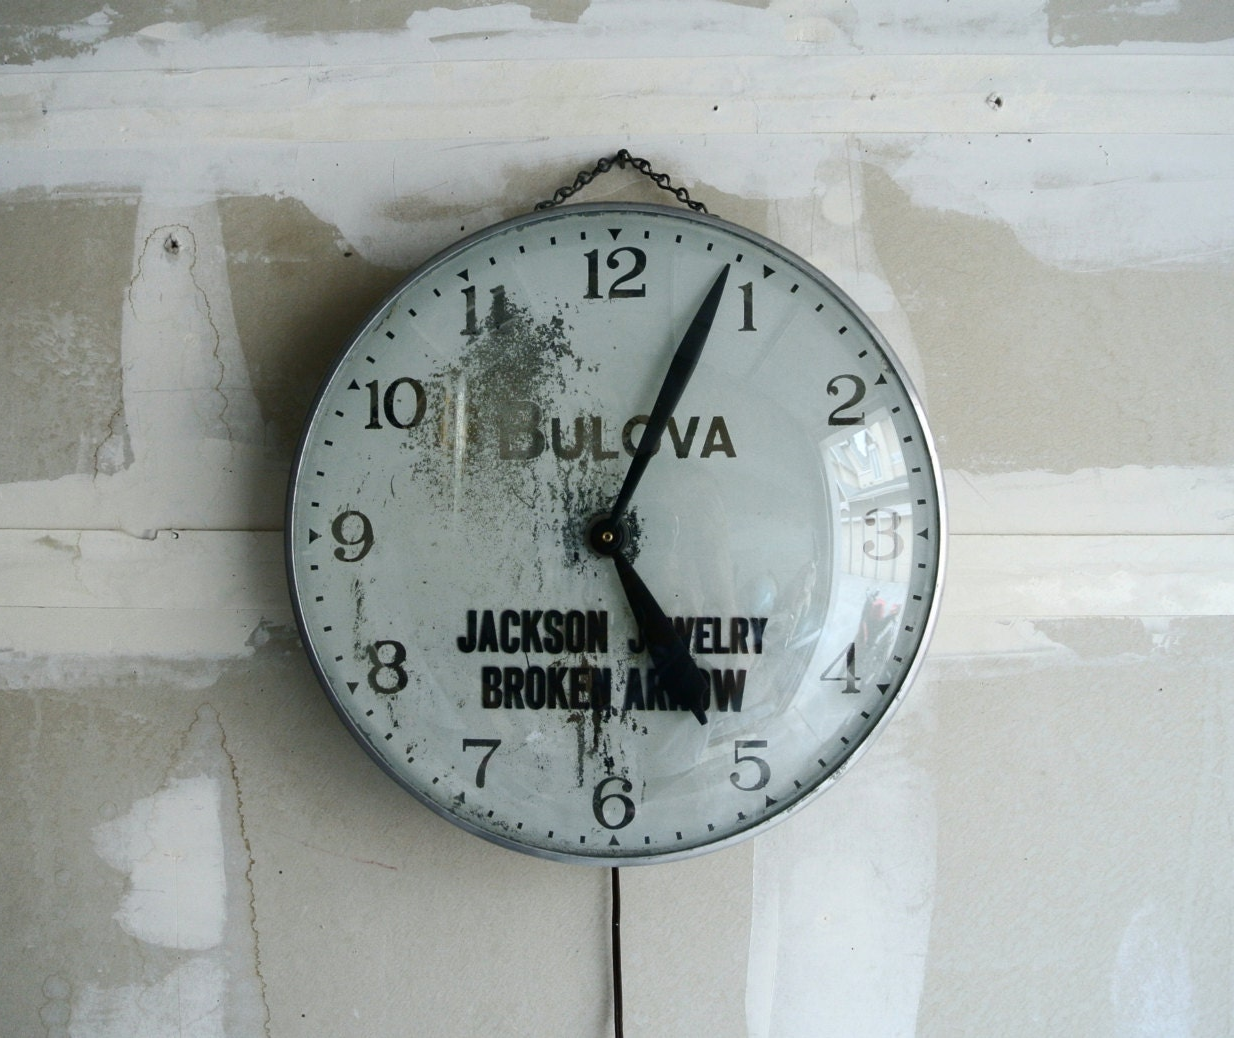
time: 5:04
